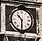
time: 10:30
